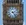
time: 2:23
